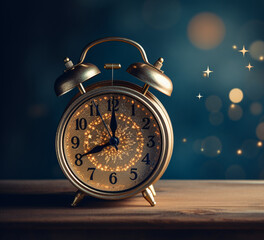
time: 8:00
